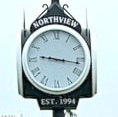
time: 9:16
